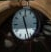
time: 11:27
